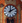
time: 2:00
